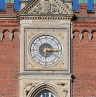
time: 6:15
